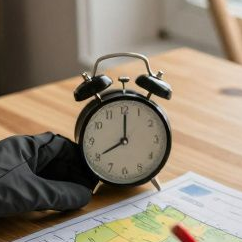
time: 8:00
